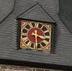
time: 3:29
